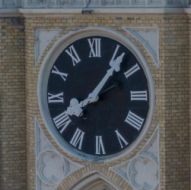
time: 8:06
